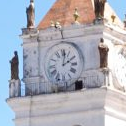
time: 2:01
